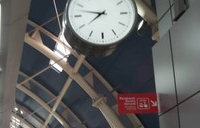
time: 7:47
